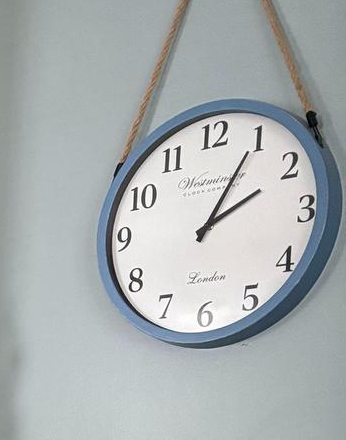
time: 2:04
